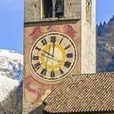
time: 10:00
